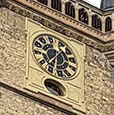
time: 1:37
